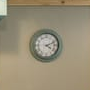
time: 4:11
